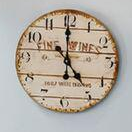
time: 4:59
